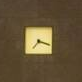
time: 7:18
